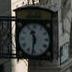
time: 11:32
